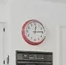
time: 12:14
